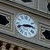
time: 2:41
